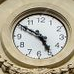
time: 4:50
